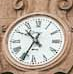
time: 10:34
